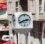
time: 2:40
